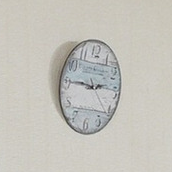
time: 2:46
